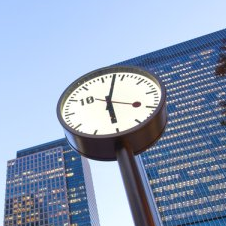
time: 6:02
